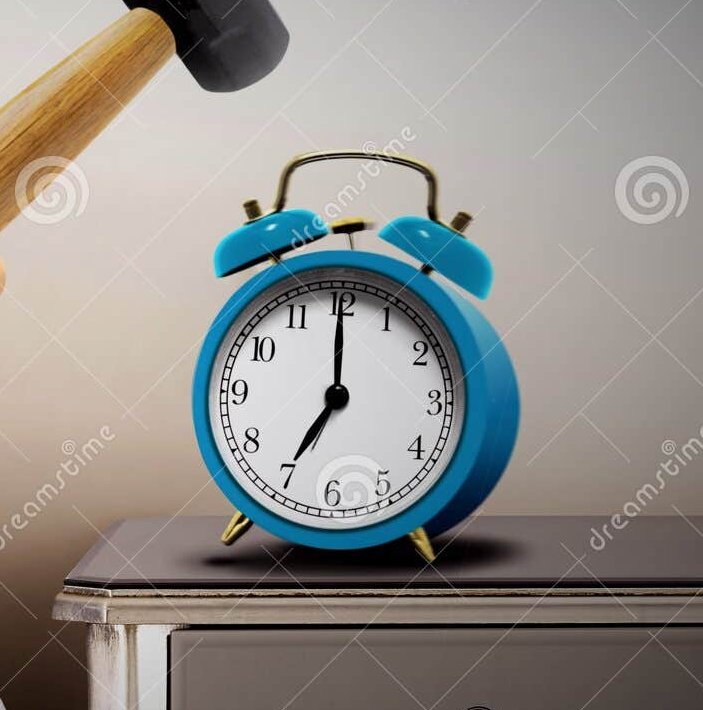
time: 7:00
